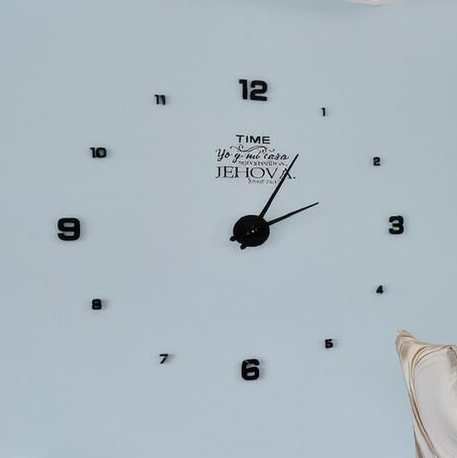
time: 2:04
